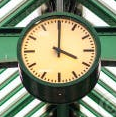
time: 4:00
